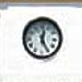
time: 12:25
